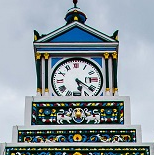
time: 5:20
